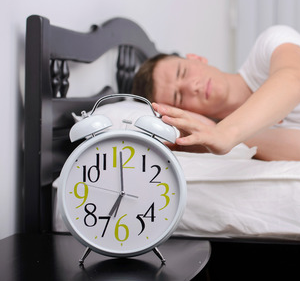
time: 6:59
